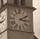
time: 3:09
